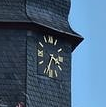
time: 3:34
